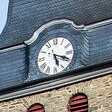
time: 5:18
